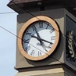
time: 11:18
